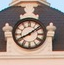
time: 8:08
